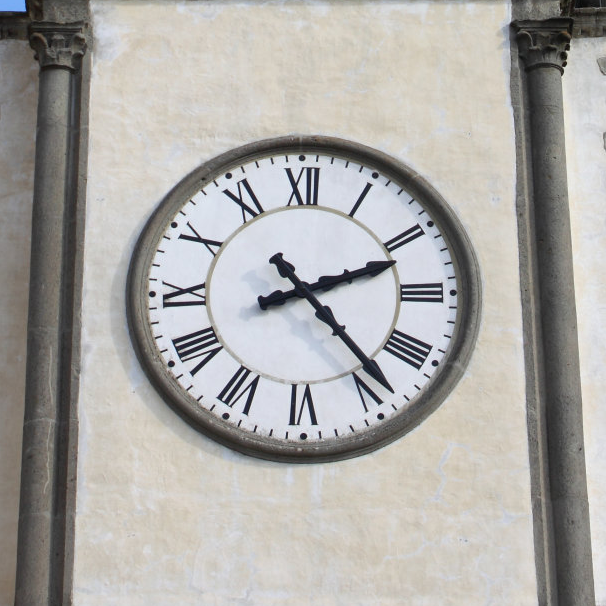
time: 2:23
